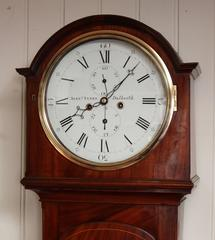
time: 8:07
